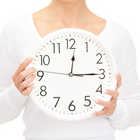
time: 12:14
